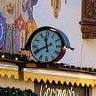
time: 11:40
